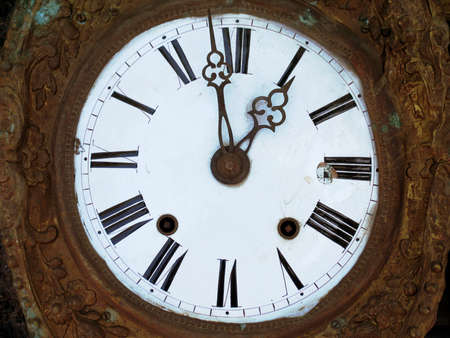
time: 12:58
